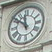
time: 11:51
